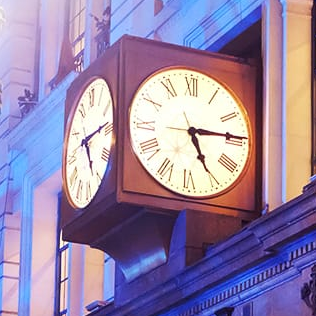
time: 5:14
